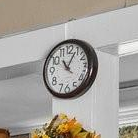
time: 11:04
